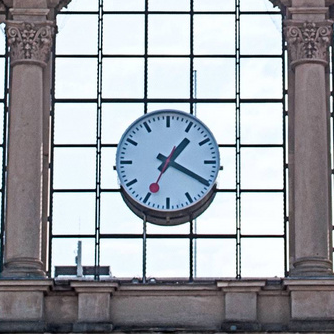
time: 1:19
